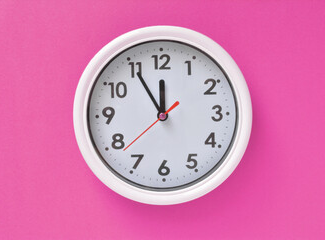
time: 11:54
